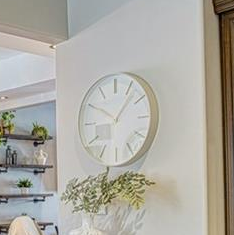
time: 10:06
